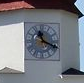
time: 11:18
